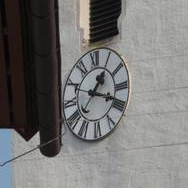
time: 1:18
